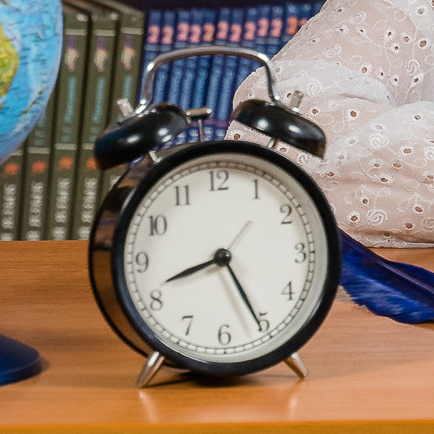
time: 8:25
